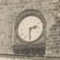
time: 2:30
